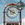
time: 3:50
